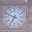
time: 6:48
